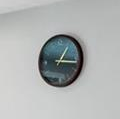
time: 1:16
